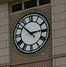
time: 2:52
